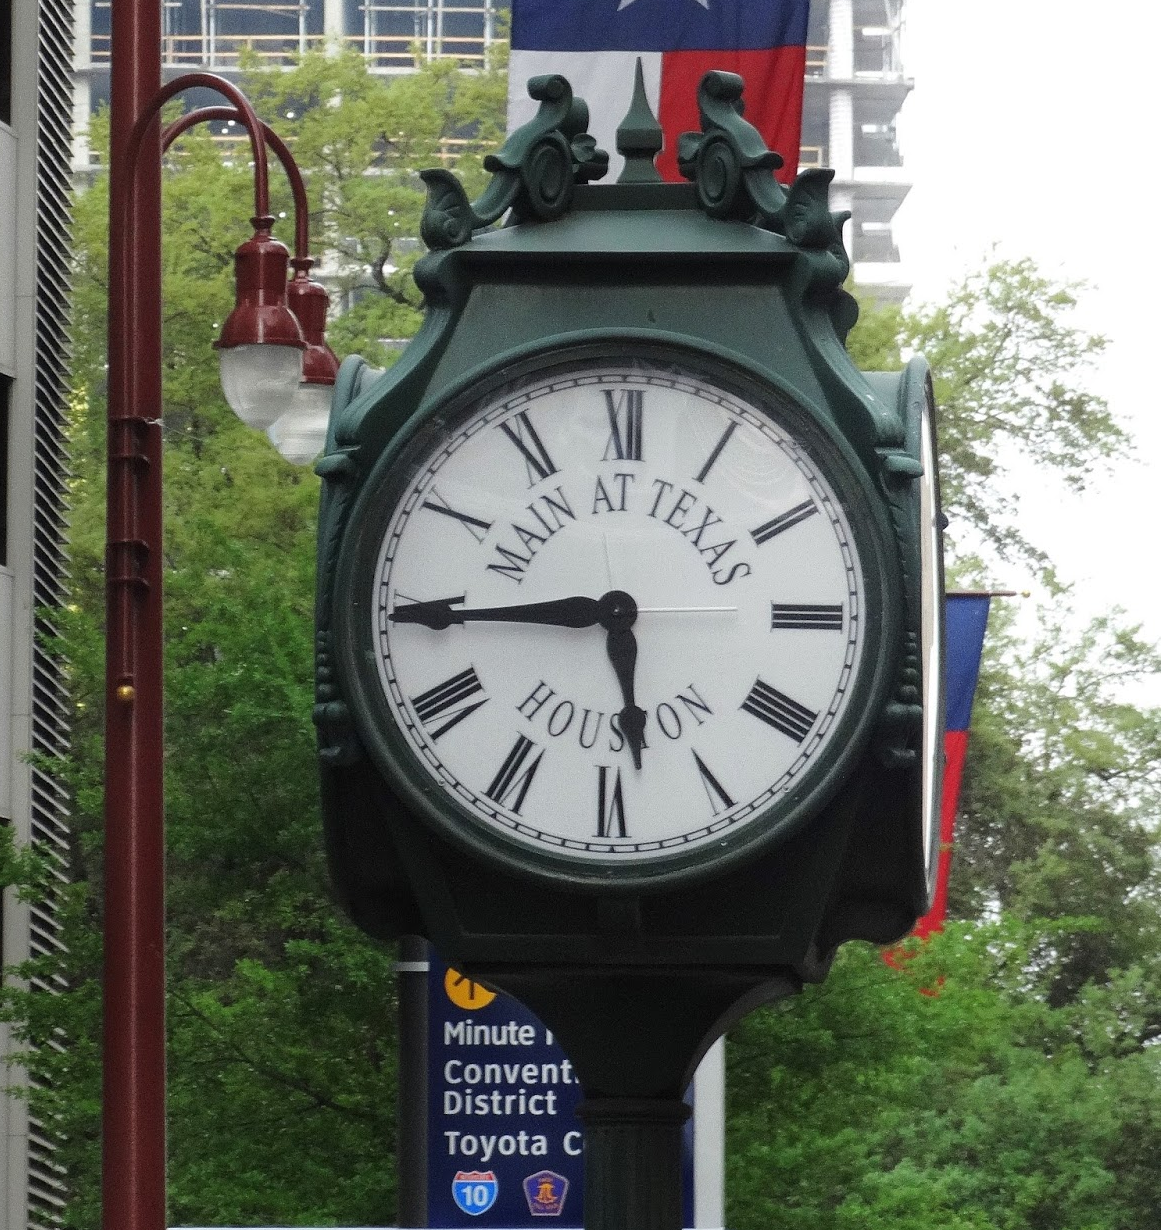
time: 5:44
